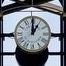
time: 1:00
